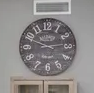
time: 2:49
